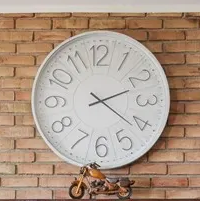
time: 2:21
